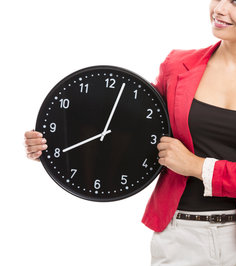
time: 8:02
